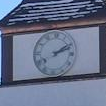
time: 2:09
